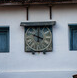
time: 10:00
